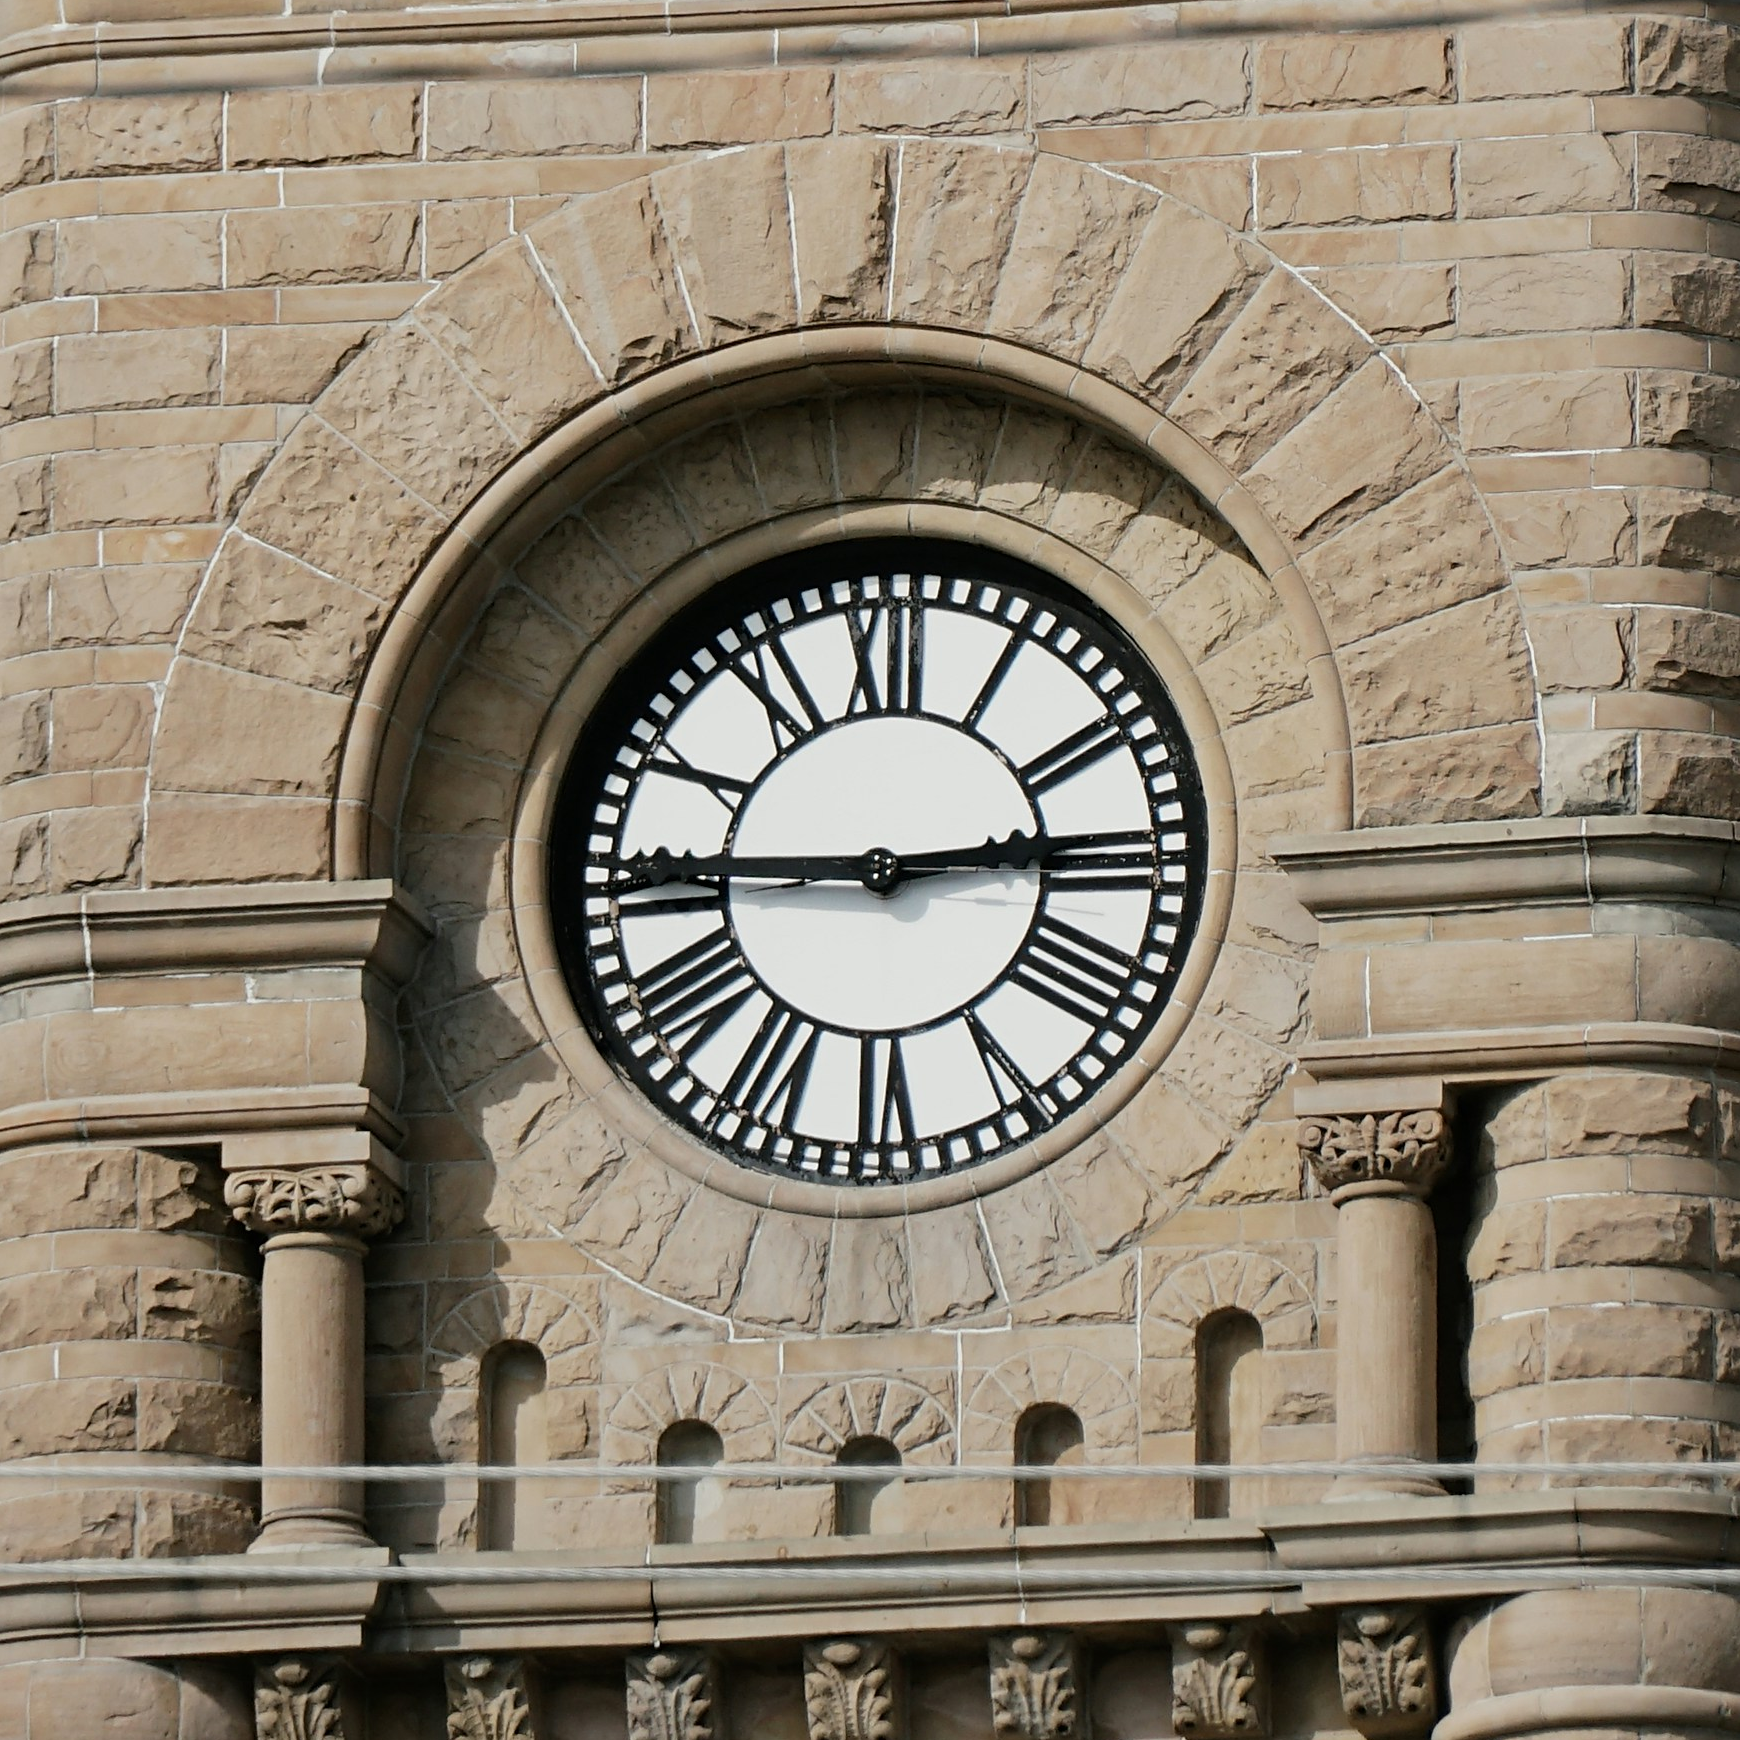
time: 2:45
